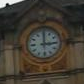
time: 3:00
